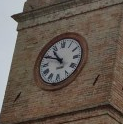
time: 10:49
